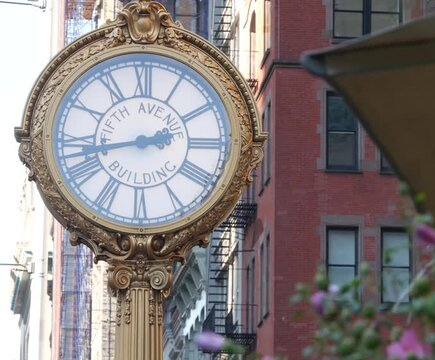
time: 2:42
